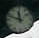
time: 11:48
